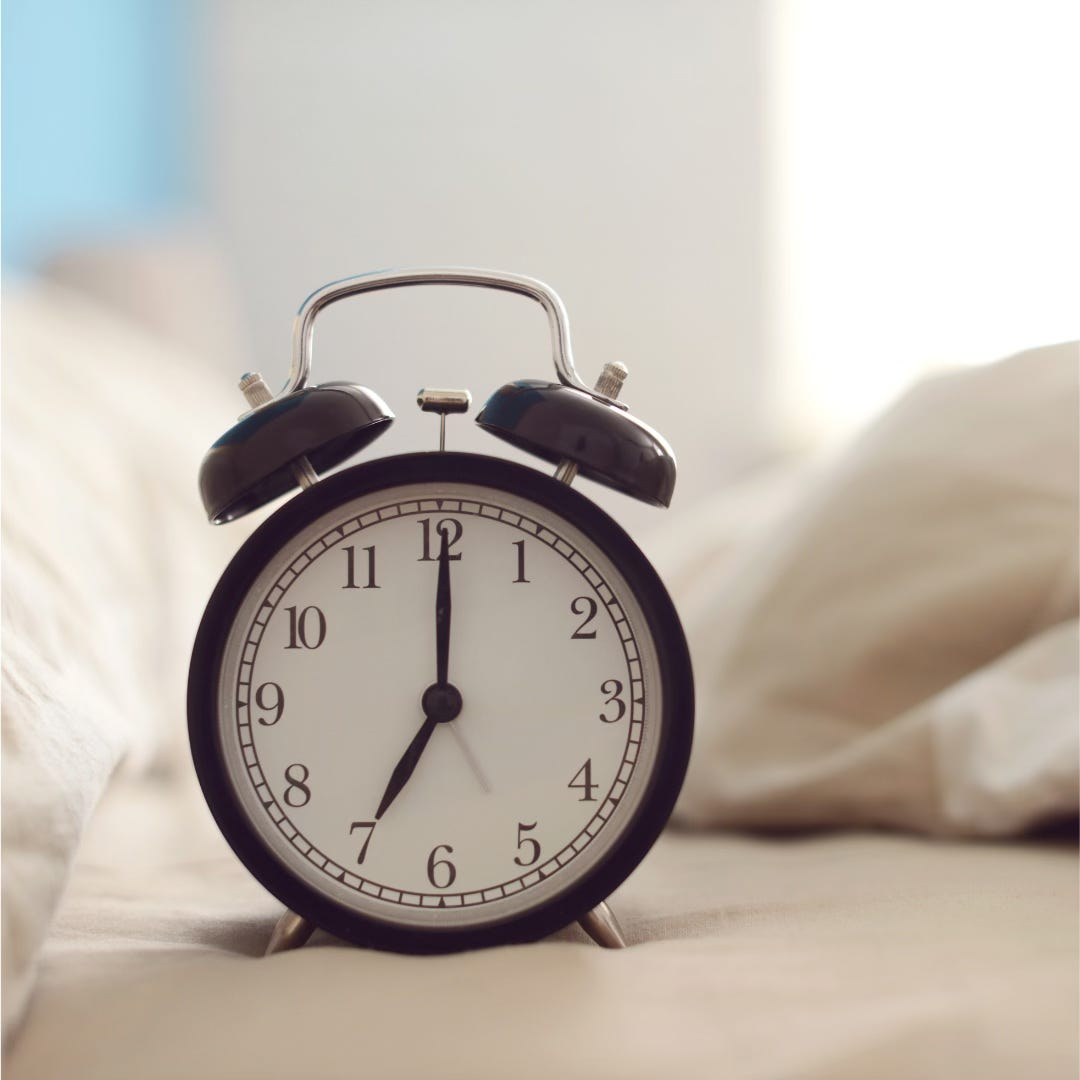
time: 7:00
